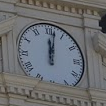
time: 12:01
